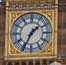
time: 1:34
